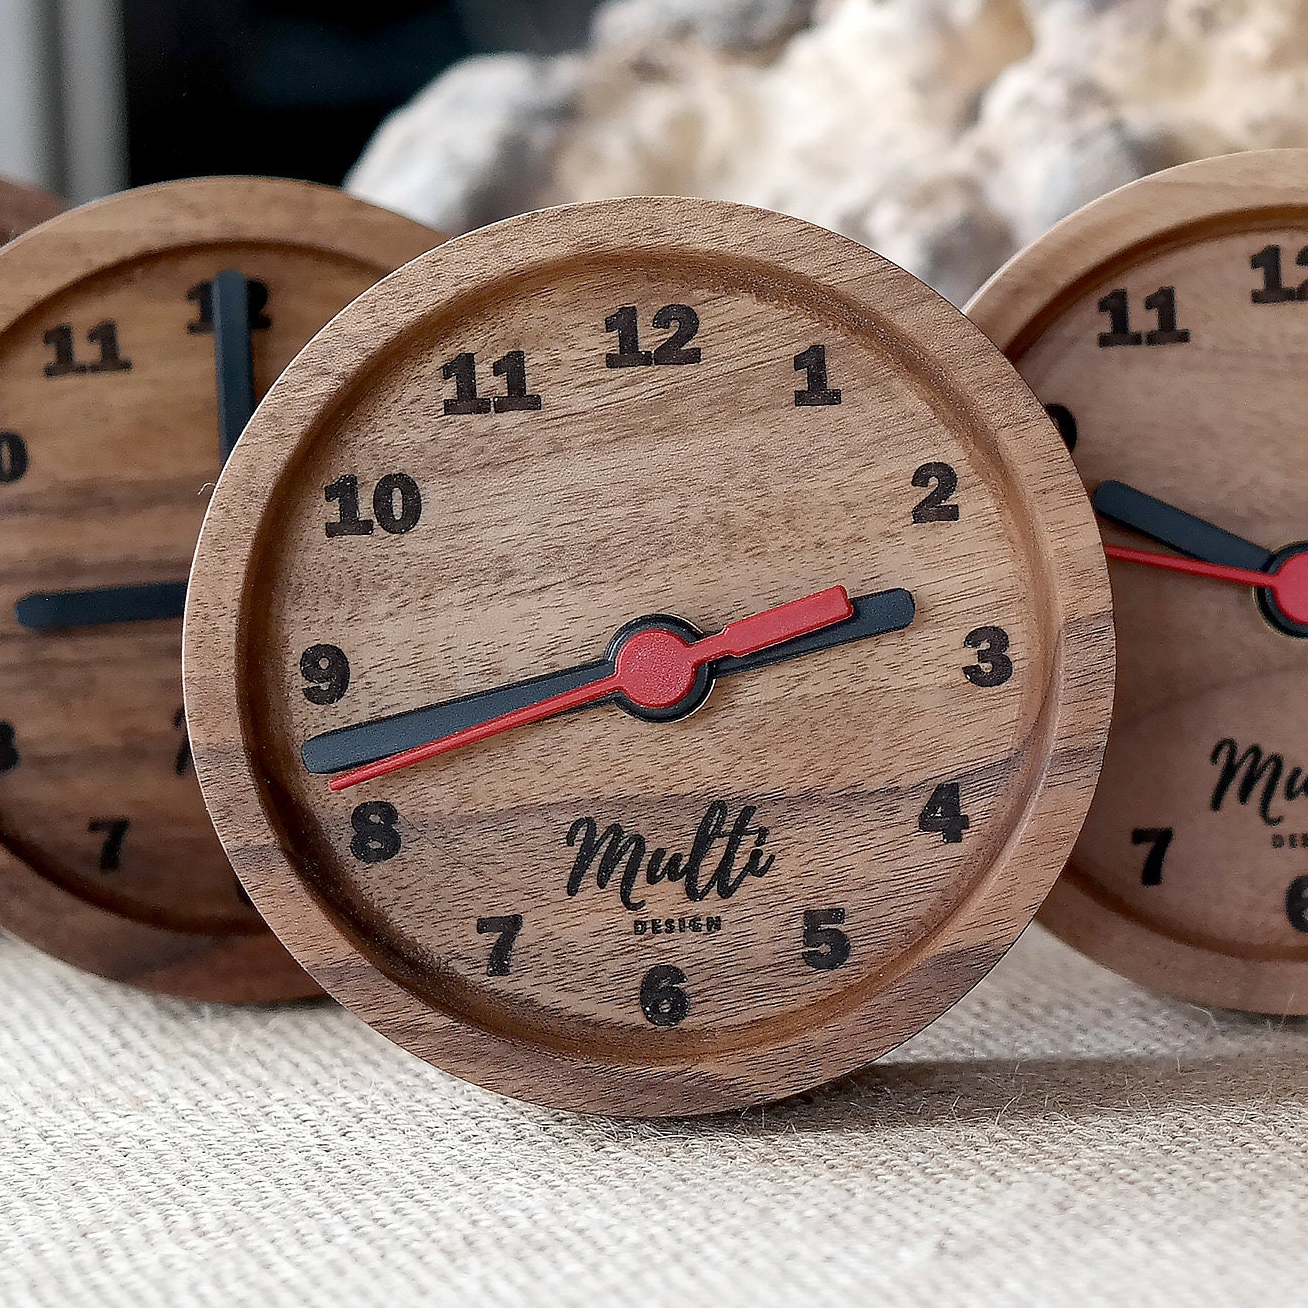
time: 2:42
